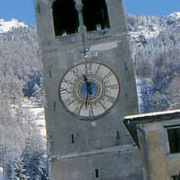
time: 11:32
